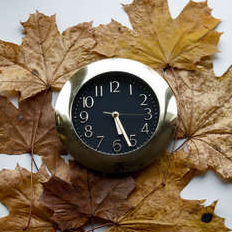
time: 5:26
